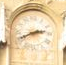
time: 2:40
